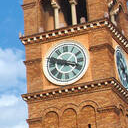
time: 3:47
